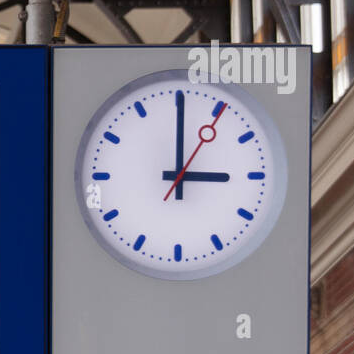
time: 3:00
